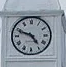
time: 4:48
